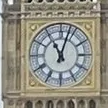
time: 11:03
